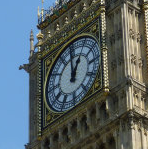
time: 12:59
